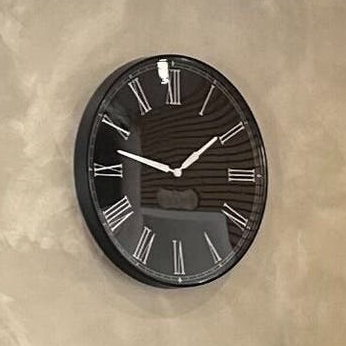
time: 1:47
